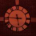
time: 5:45
